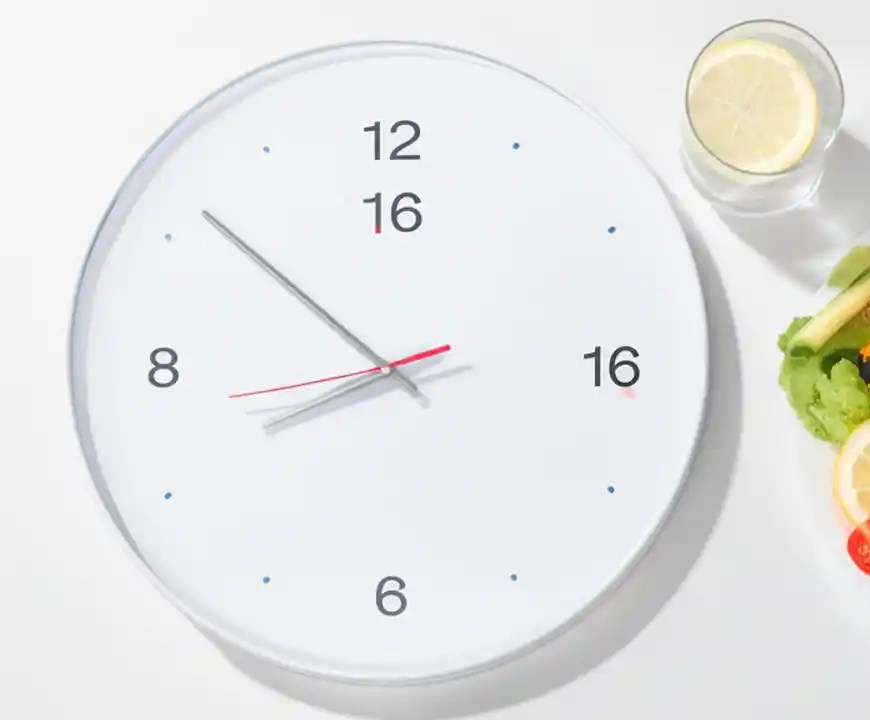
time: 8:51
